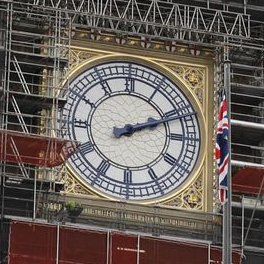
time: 2:11
